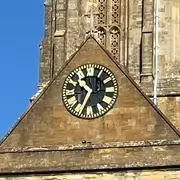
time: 10:34
